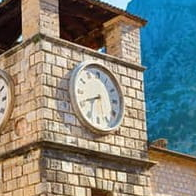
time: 6:41
